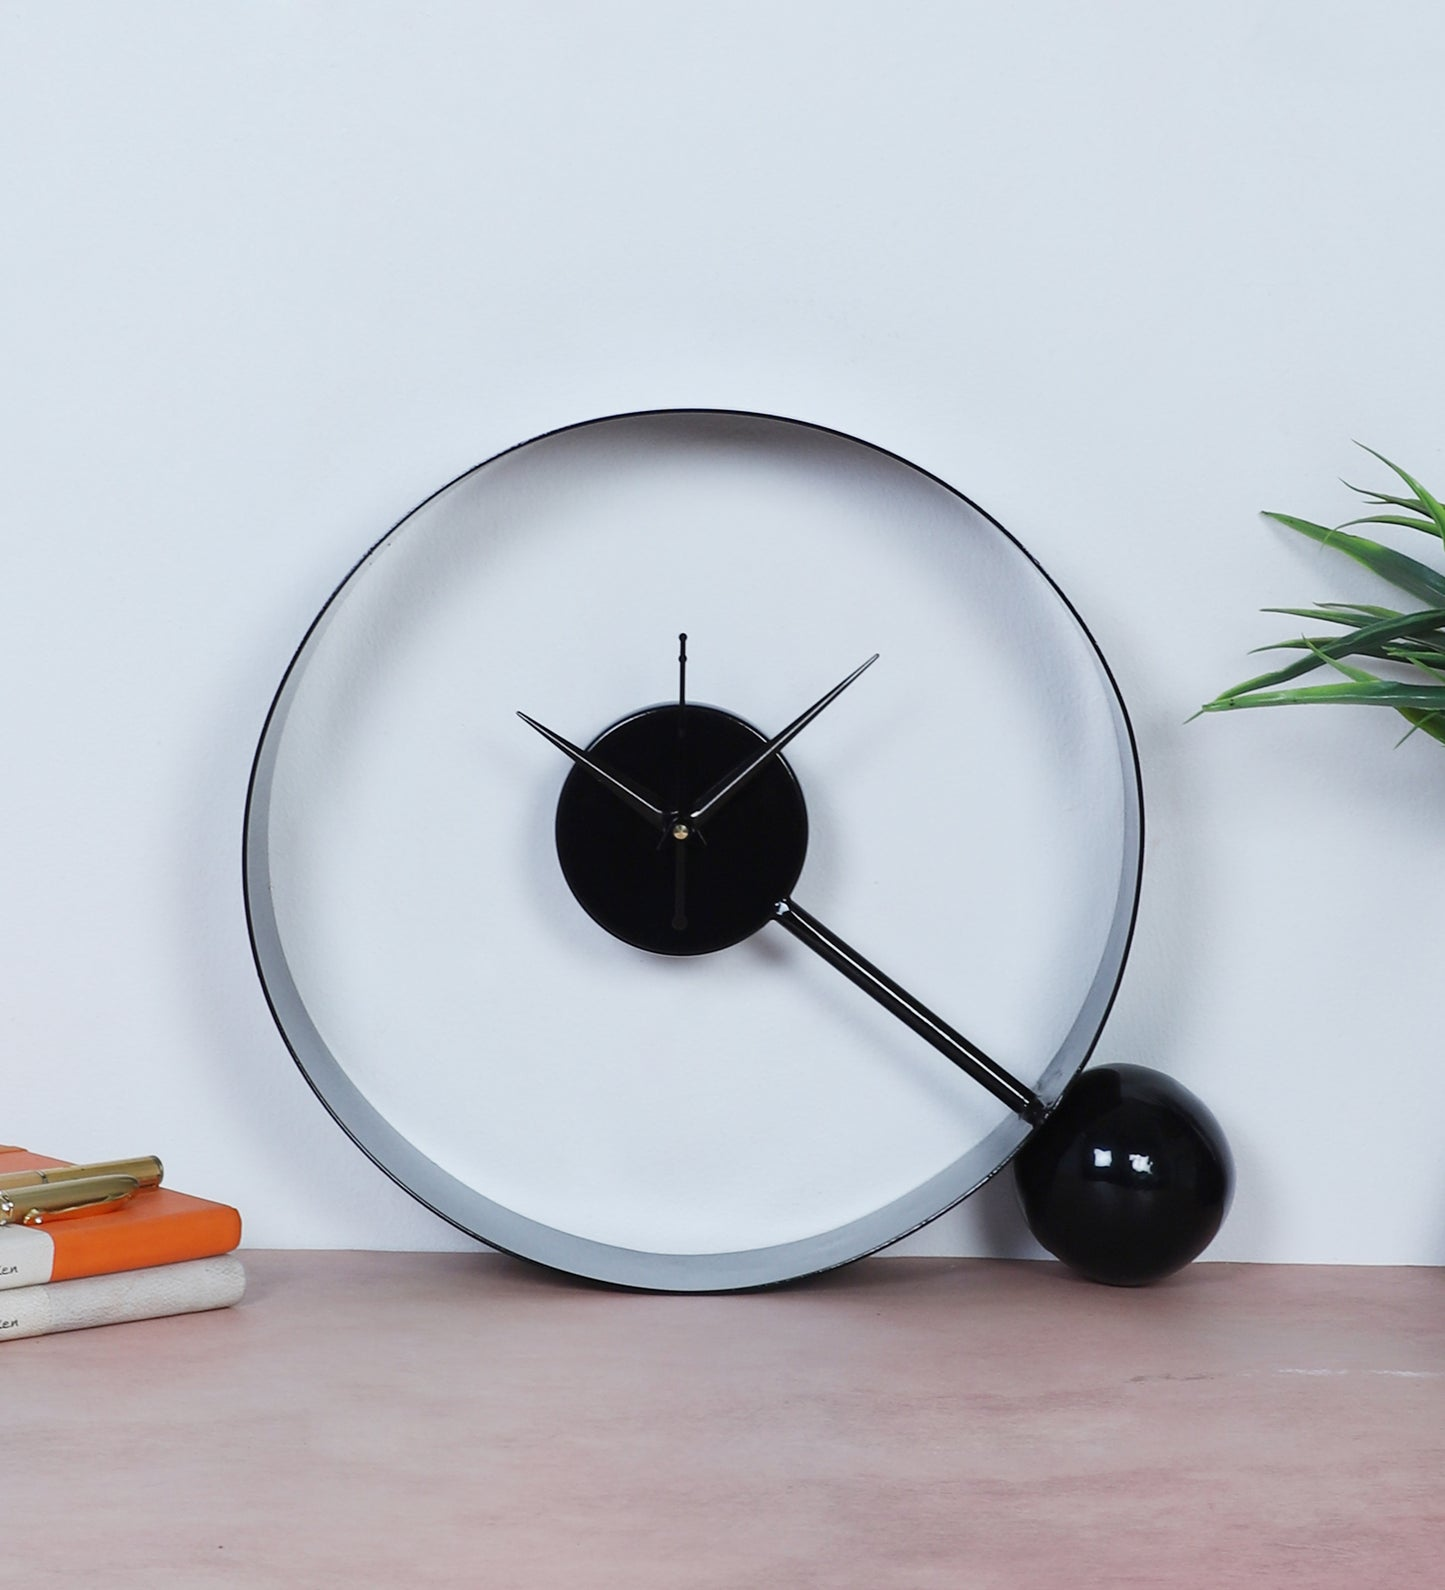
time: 1:21
